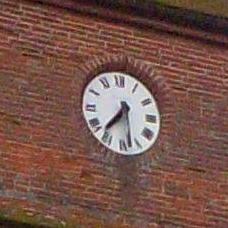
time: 7:28
